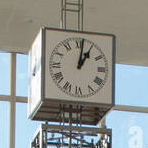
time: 1:01
